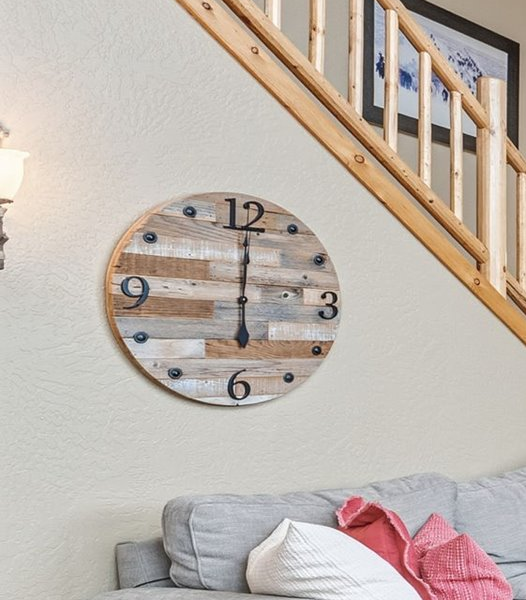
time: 6:00
